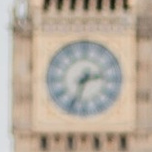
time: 2:33
